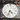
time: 4:33
